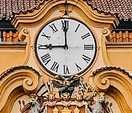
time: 8:59
